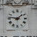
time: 1:46
